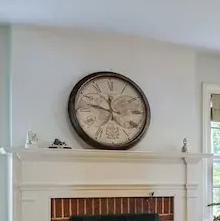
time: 11:47
